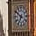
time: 6:50
